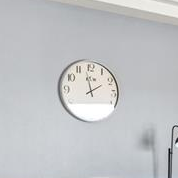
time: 1:58
